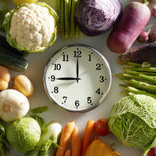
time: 8:59
